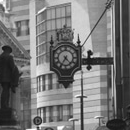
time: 4:35
